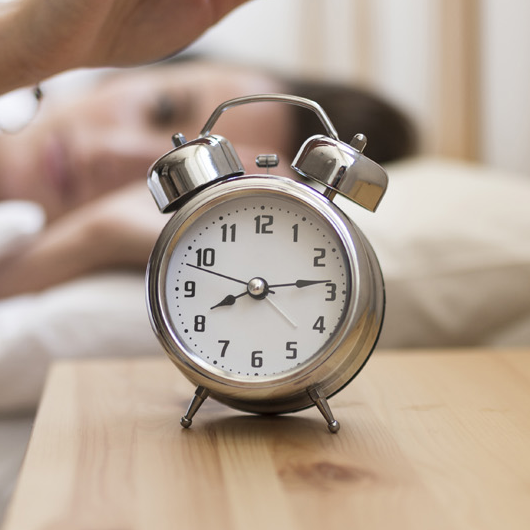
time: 8:13
